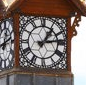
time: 1:13
